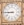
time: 8:45
